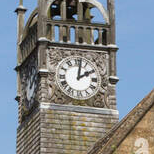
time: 2:01
